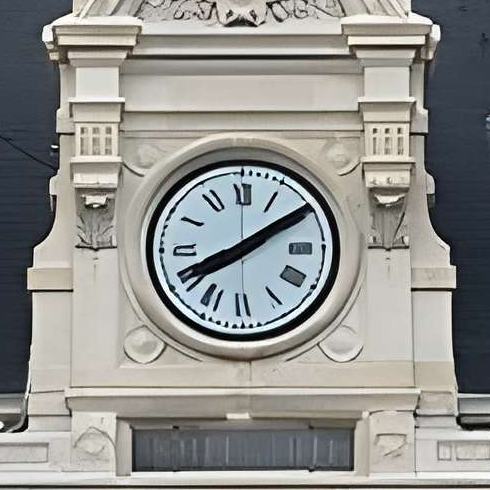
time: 8:09
